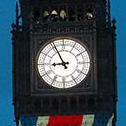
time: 8:55
